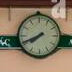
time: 7:40
